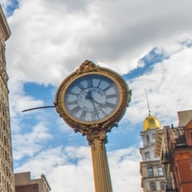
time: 4:27
